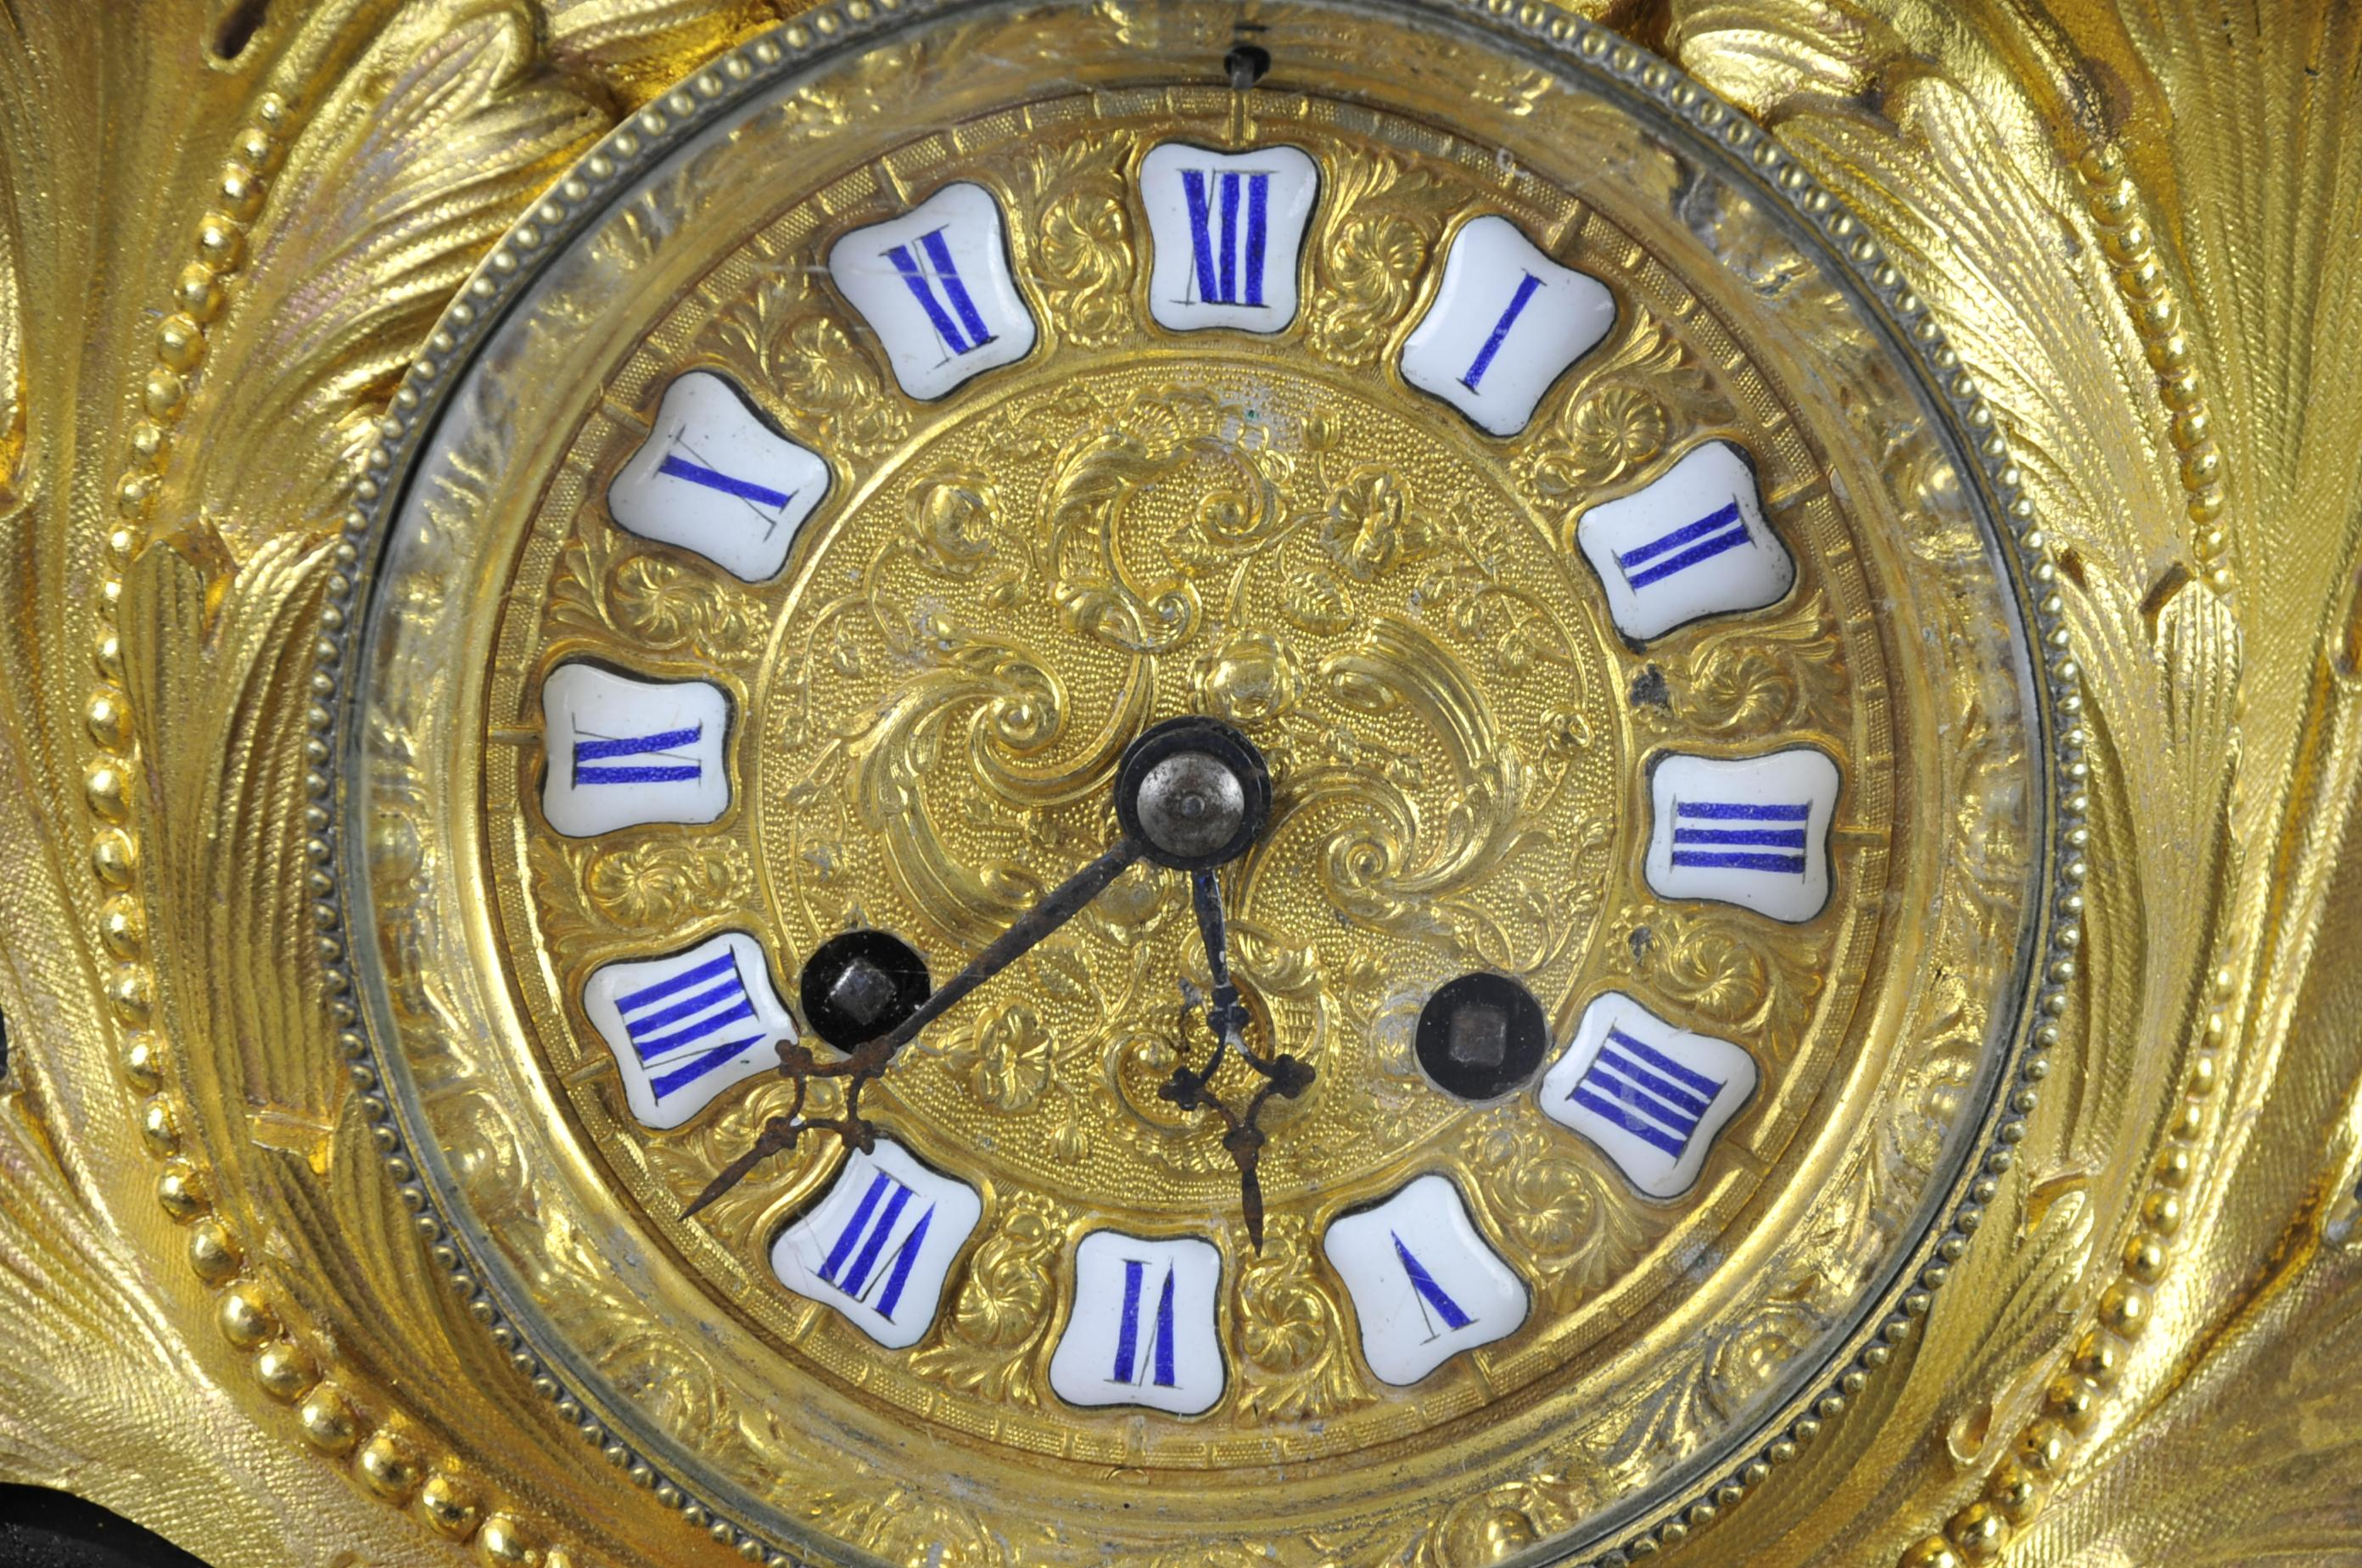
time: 5:38
